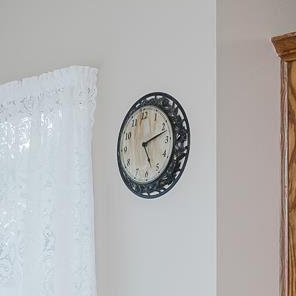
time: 5:12
